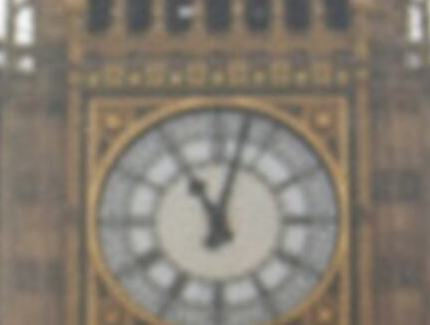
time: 11:02
